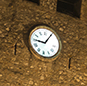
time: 9:05
